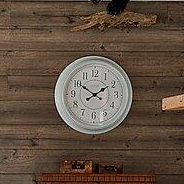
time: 1:50
